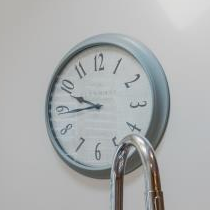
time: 9:43
